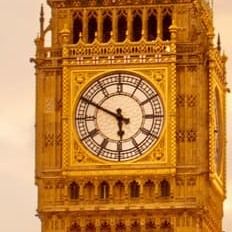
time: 5:49
